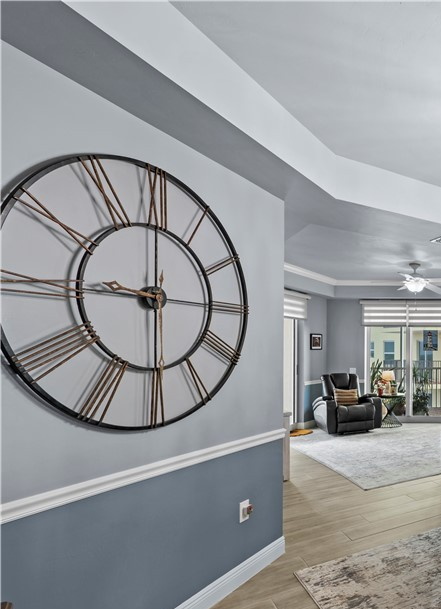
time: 9:00
